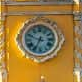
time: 6:48
